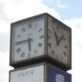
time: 5:45
